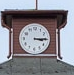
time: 3:14
